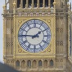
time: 1:46
